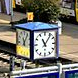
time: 11:06
